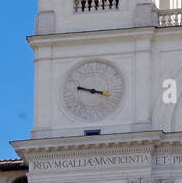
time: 9:17
